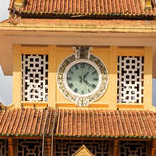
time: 1:21
